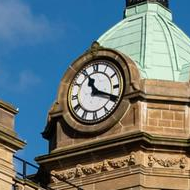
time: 11:19
